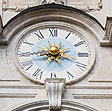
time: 3:43
